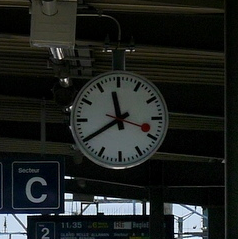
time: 11:39
